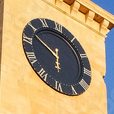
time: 5:48
